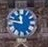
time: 11:46
